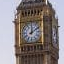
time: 12:09
